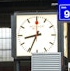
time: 8:34
